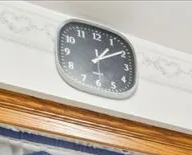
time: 1:09
